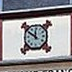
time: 11:50
